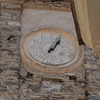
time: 1:04
